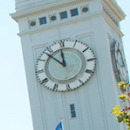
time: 11:52
